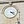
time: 3:22
